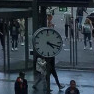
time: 4:18
